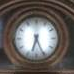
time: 6:25
